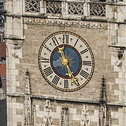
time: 11:25
